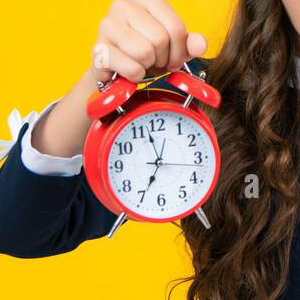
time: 6:57
